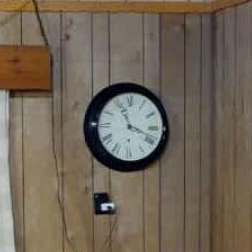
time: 11:18
